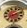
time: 8:12
